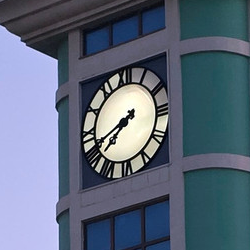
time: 7:41
